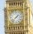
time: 1:37
